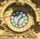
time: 1:32
